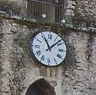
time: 11:07
